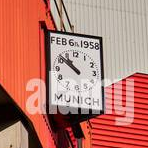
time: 9:50
